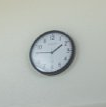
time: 1:46
